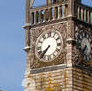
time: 7:36
